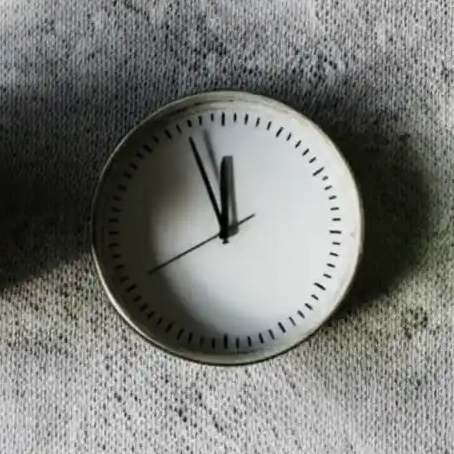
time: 11:56
